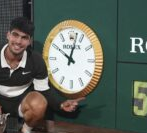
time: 10:02
